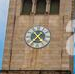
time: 1:36
